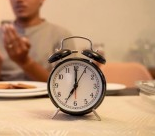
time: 7:00
